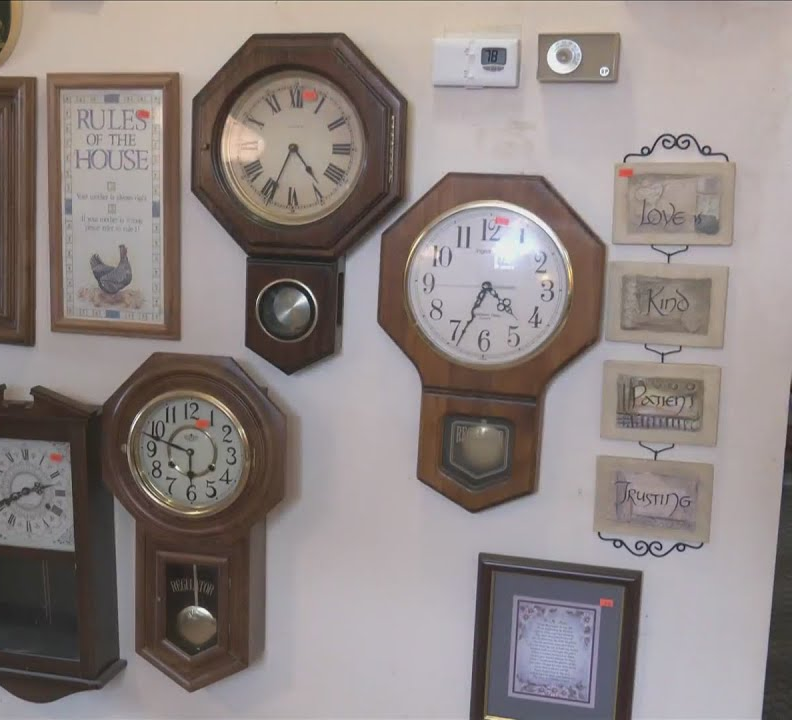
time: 4:33
